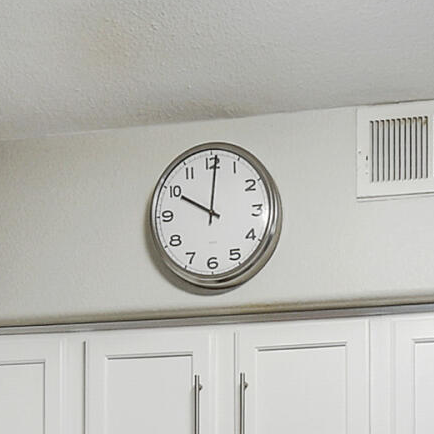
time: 10:00
